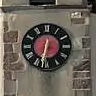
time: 12:32
